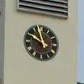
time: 9:57
